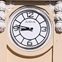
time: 8:46
